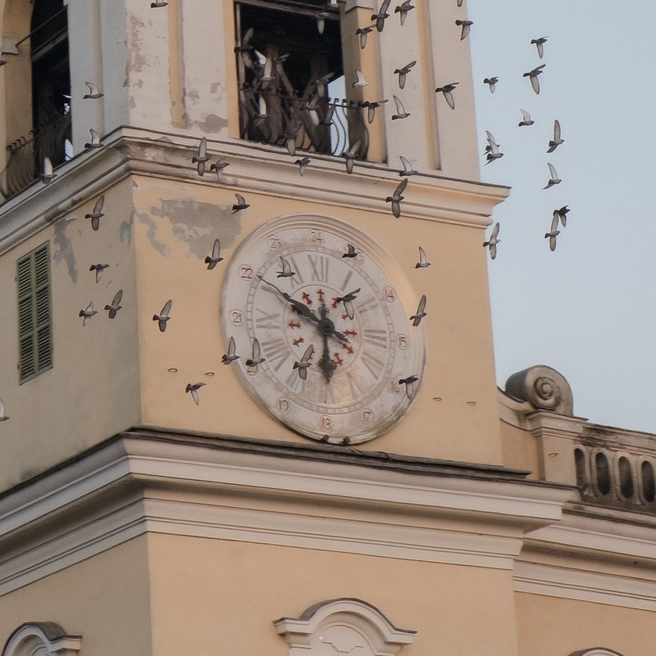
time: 5:50
